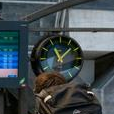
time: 11:07
